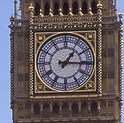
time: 1:16
